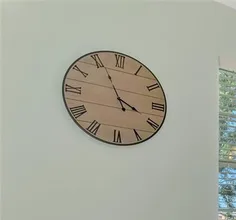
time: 3:55
